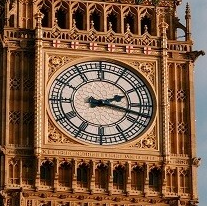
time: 2:17
